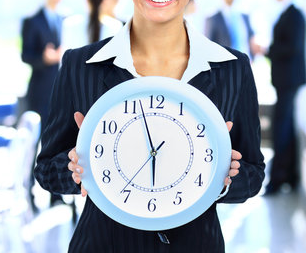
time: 5:57
